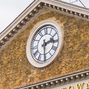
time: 2:29
